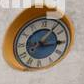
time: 3:06
